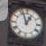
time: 12:56
